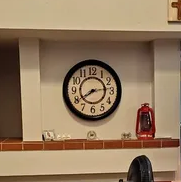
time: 2:39
